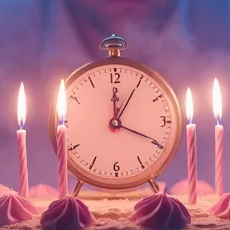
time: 12:05
